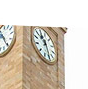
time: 10:28
